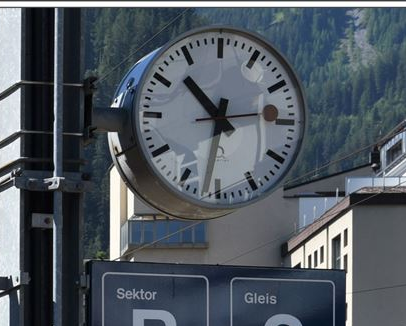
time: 10:31
